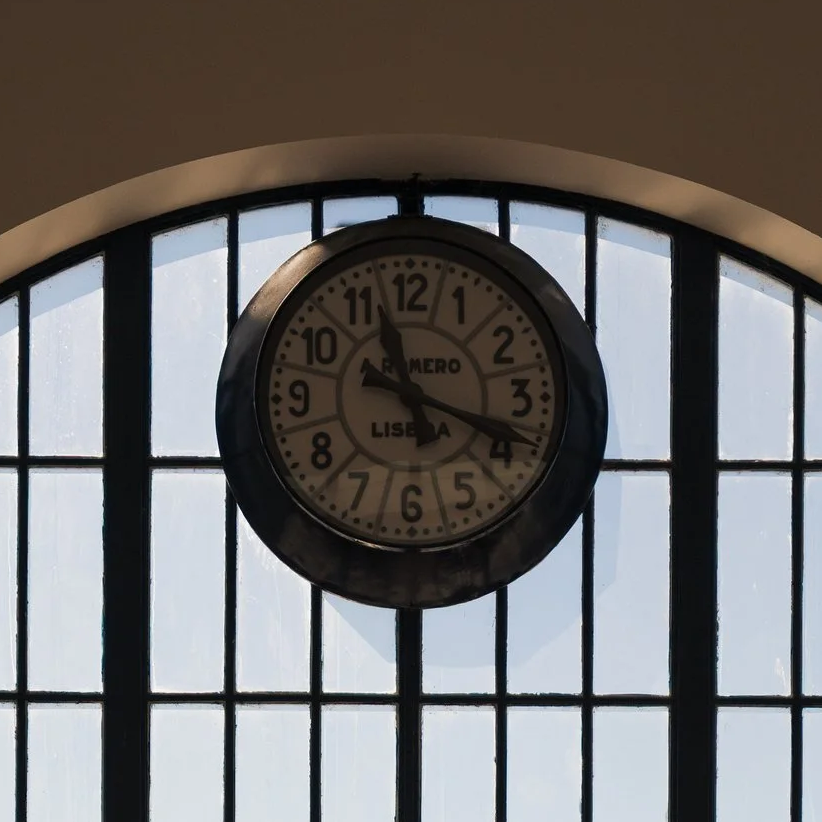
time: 11:18
